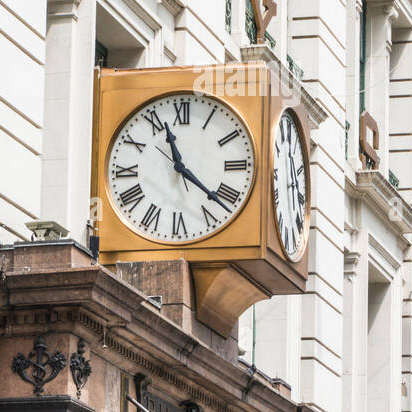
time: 11:21
